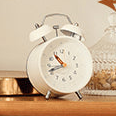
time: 10:41
